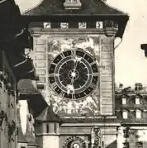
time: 6:03
